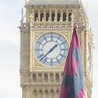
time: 1:37
